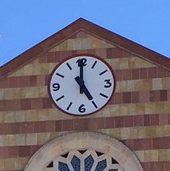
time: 4:59
